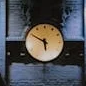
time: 5:49
